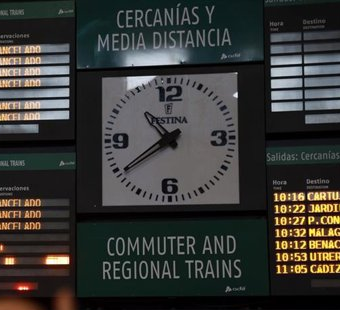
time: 10:39
